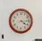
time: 4:14
